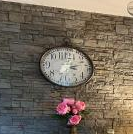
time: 3:11
